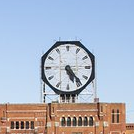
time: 5:23
